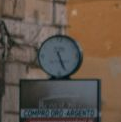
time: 5:26
